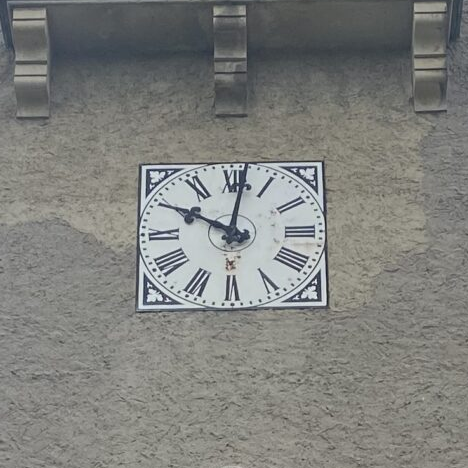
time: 10:01
